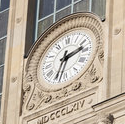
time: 2:33
